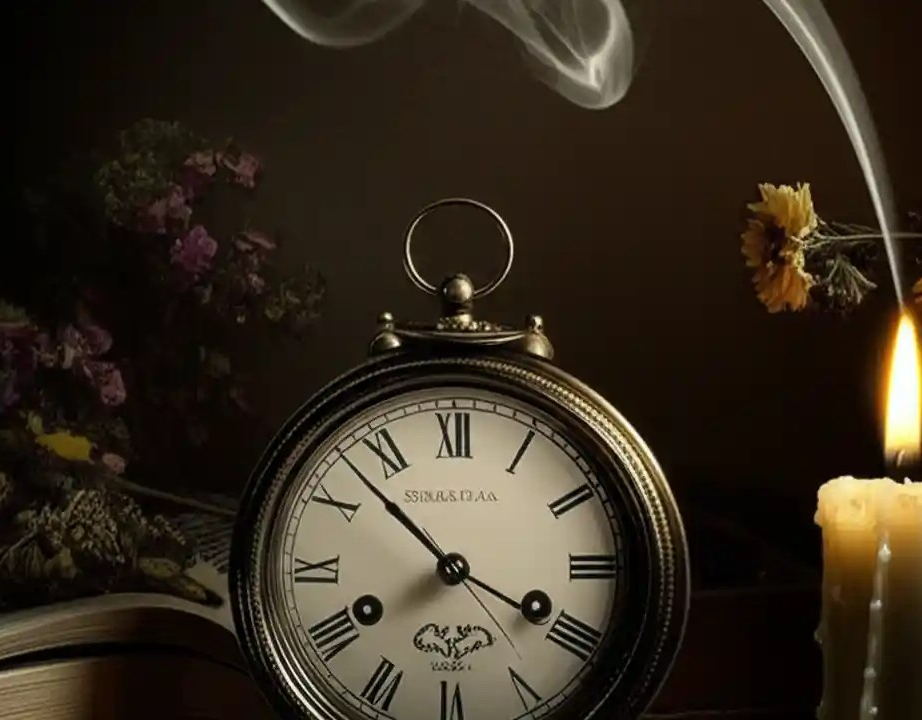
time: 3:52
